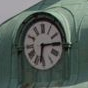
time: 6:14
